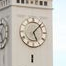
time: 5:07
